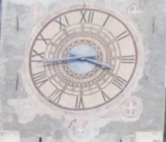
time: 3:43
